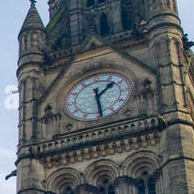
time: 1:28
